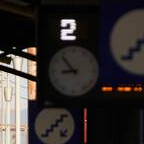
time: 8:53
